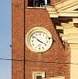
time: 3:51
